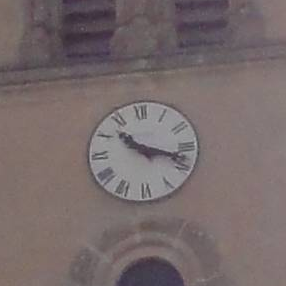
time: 10:17
